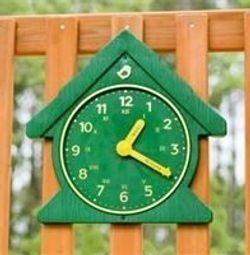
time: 1:20
